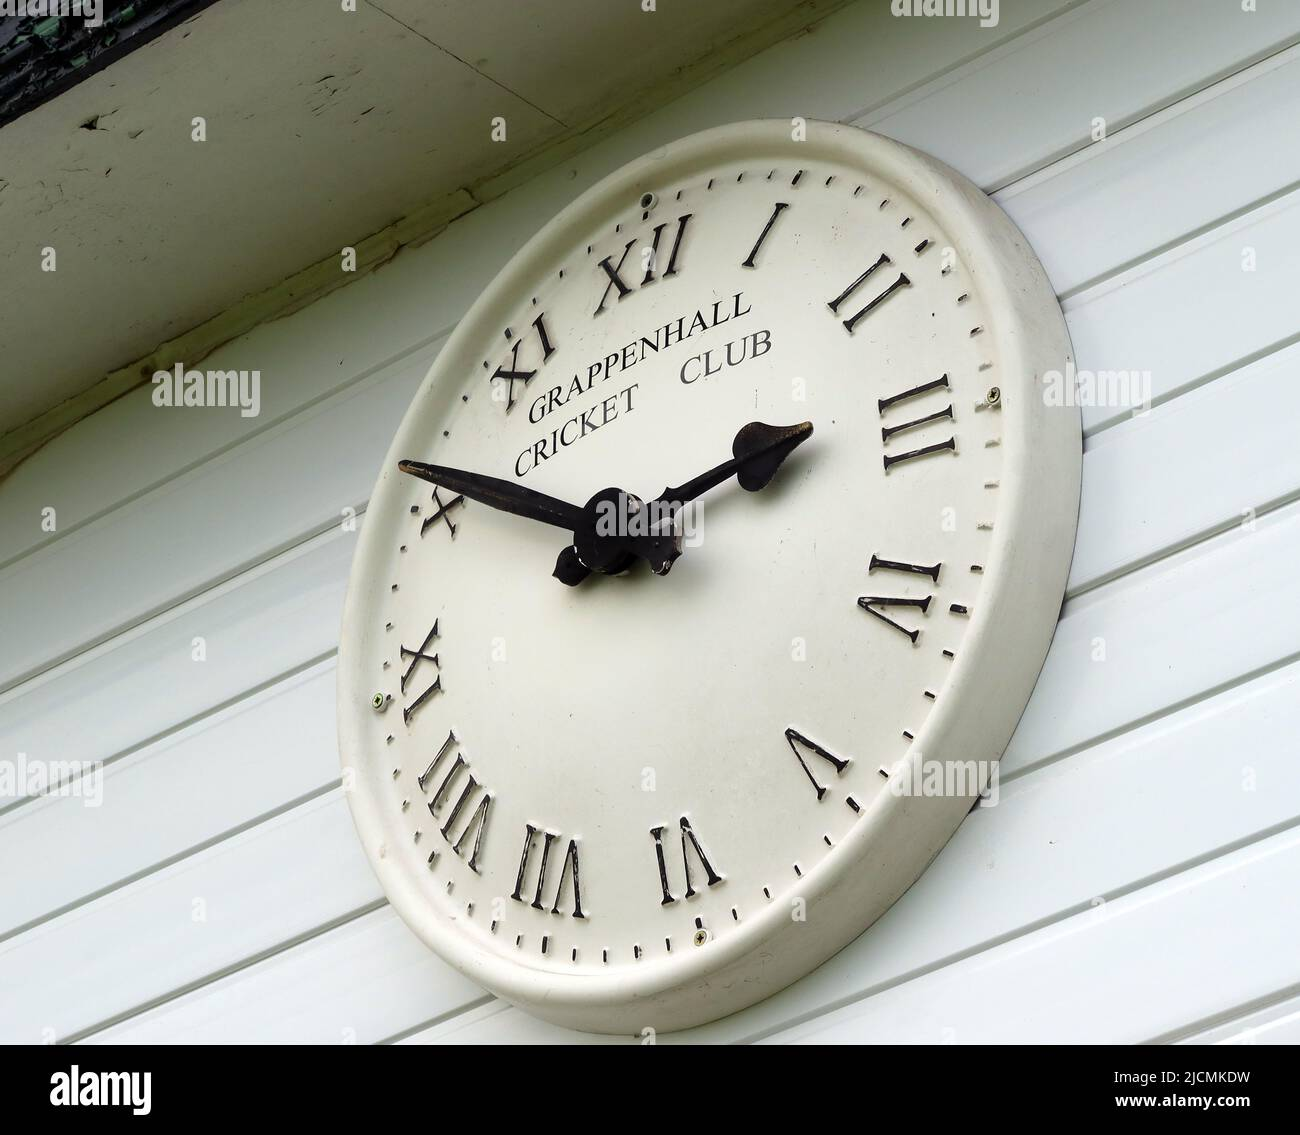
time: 2:50
